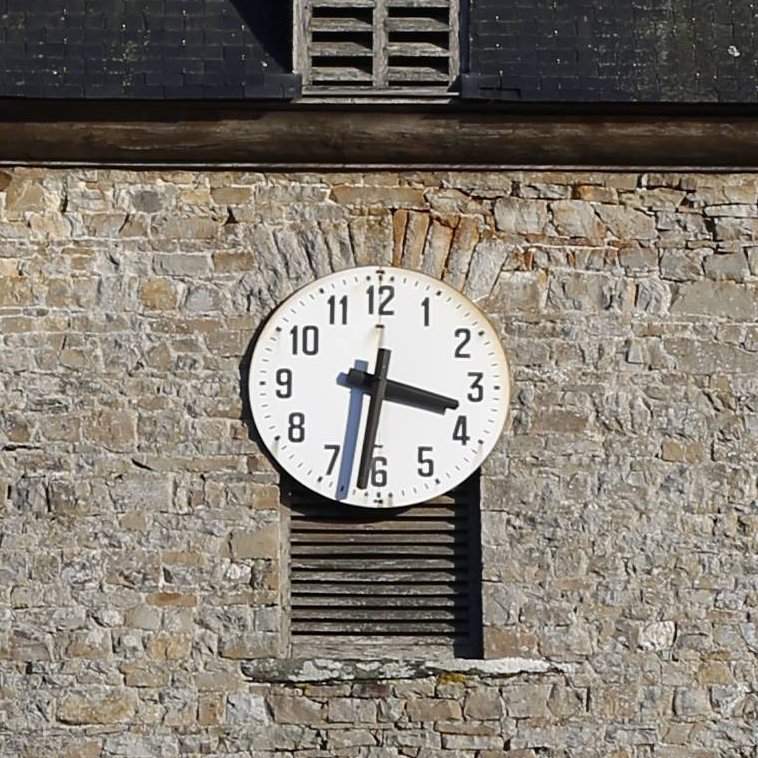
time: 3:31
